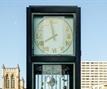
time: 7:58
